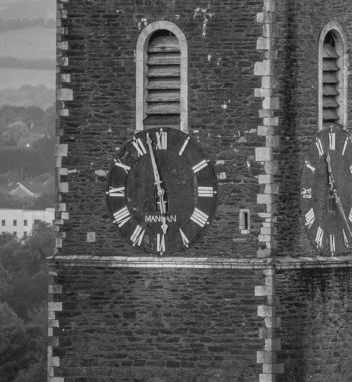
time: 5:57
